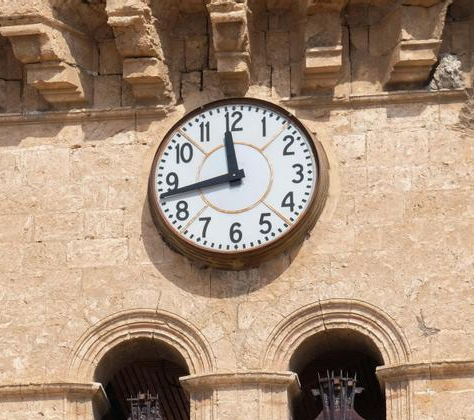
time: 11:43
